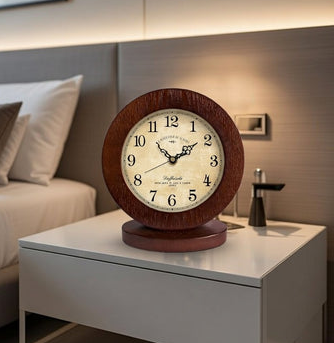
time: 1:52
